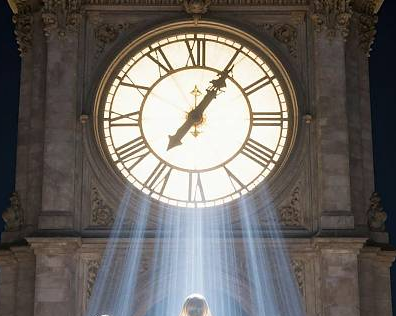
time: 1:05
